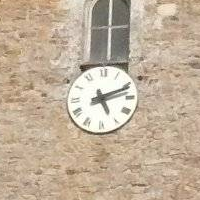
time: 5:11
